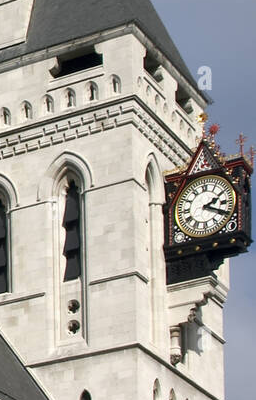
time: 2:18
